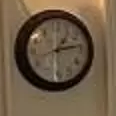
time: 1:13
